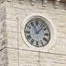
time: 11:07
